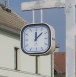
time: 12:07
